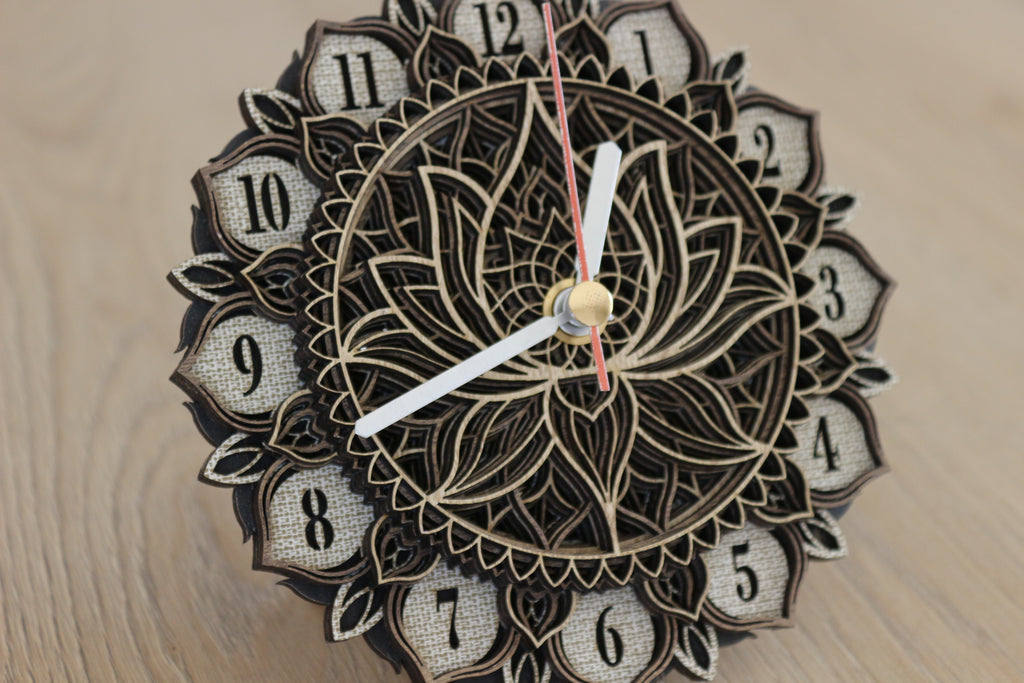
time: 12:41
